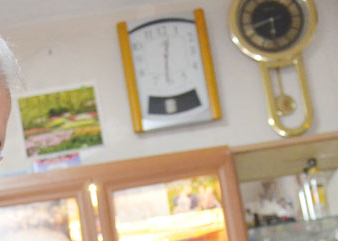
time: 12:31
